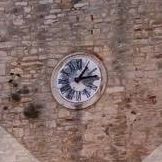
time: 1:13
